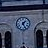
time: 1:26
